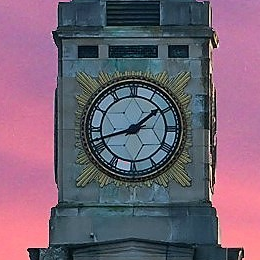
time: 1:42
